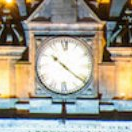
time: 10:21
